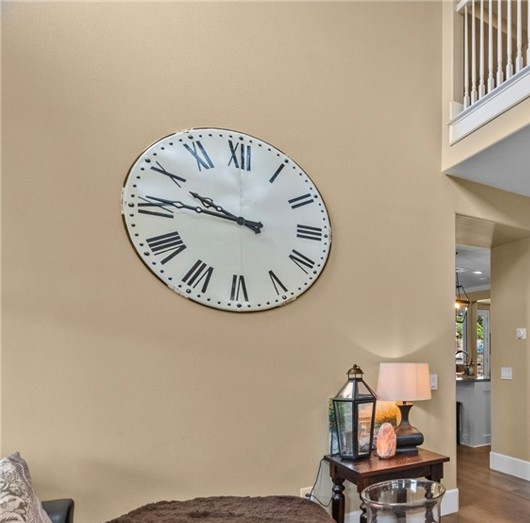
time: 9:45
